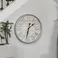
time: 1:32
